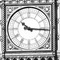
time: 10:15
